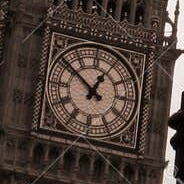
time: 12:51
